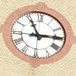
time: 2:55
